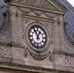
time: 12:55
